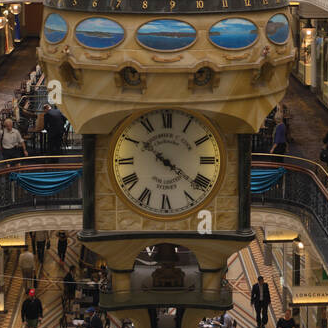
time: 10:21
